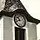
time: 10:41
